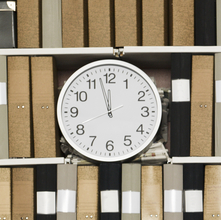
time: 11:57
